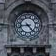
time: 4:42
